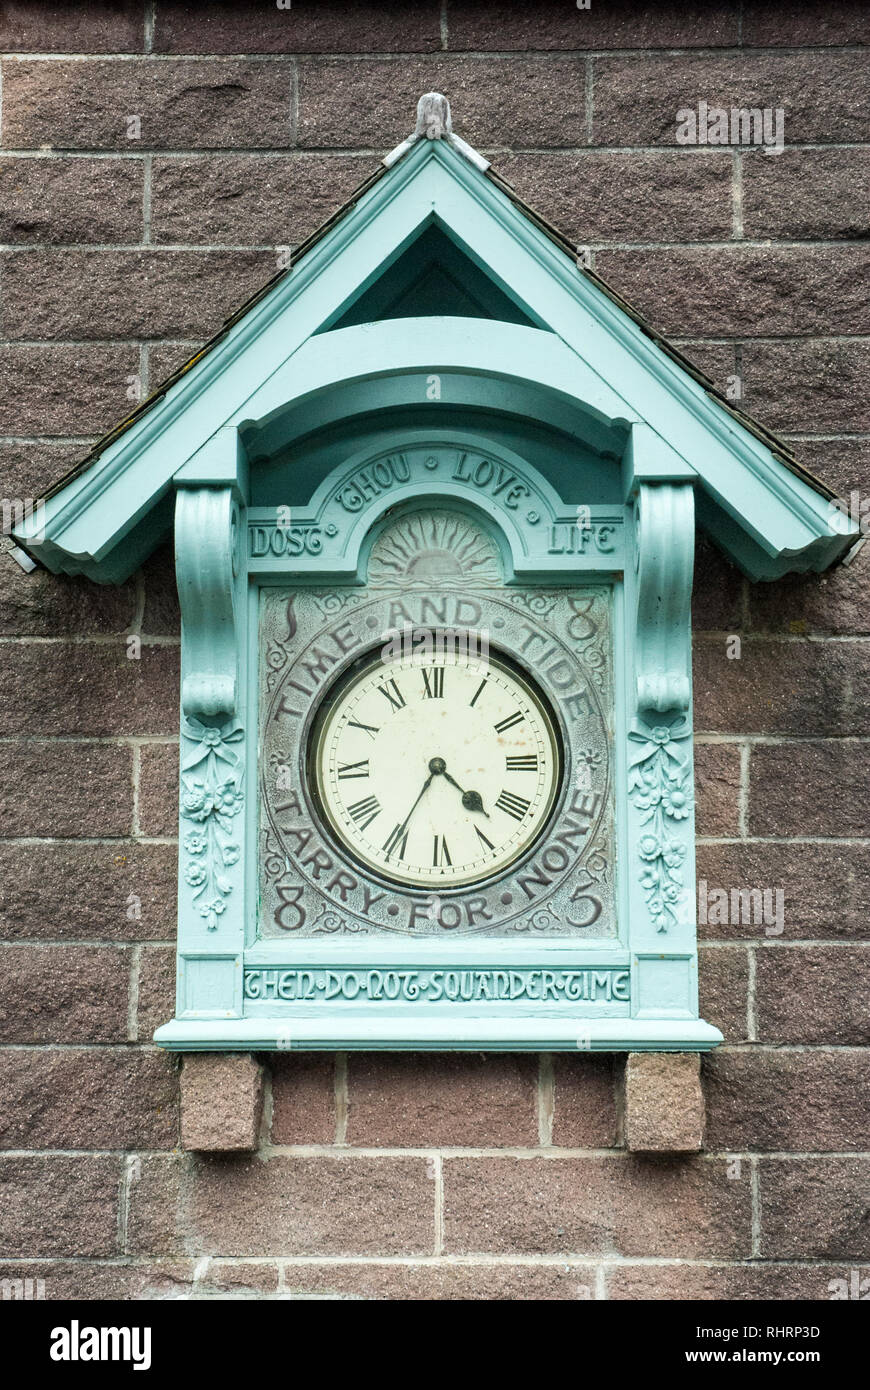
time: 4:35
